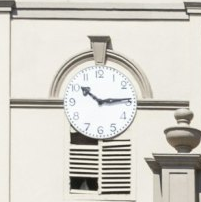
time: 10:14
